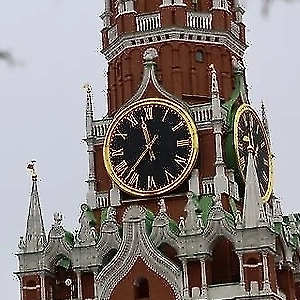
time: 11:36
